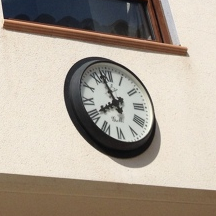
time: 7:57
